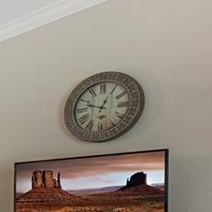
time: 12:48
